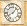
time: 8:07
